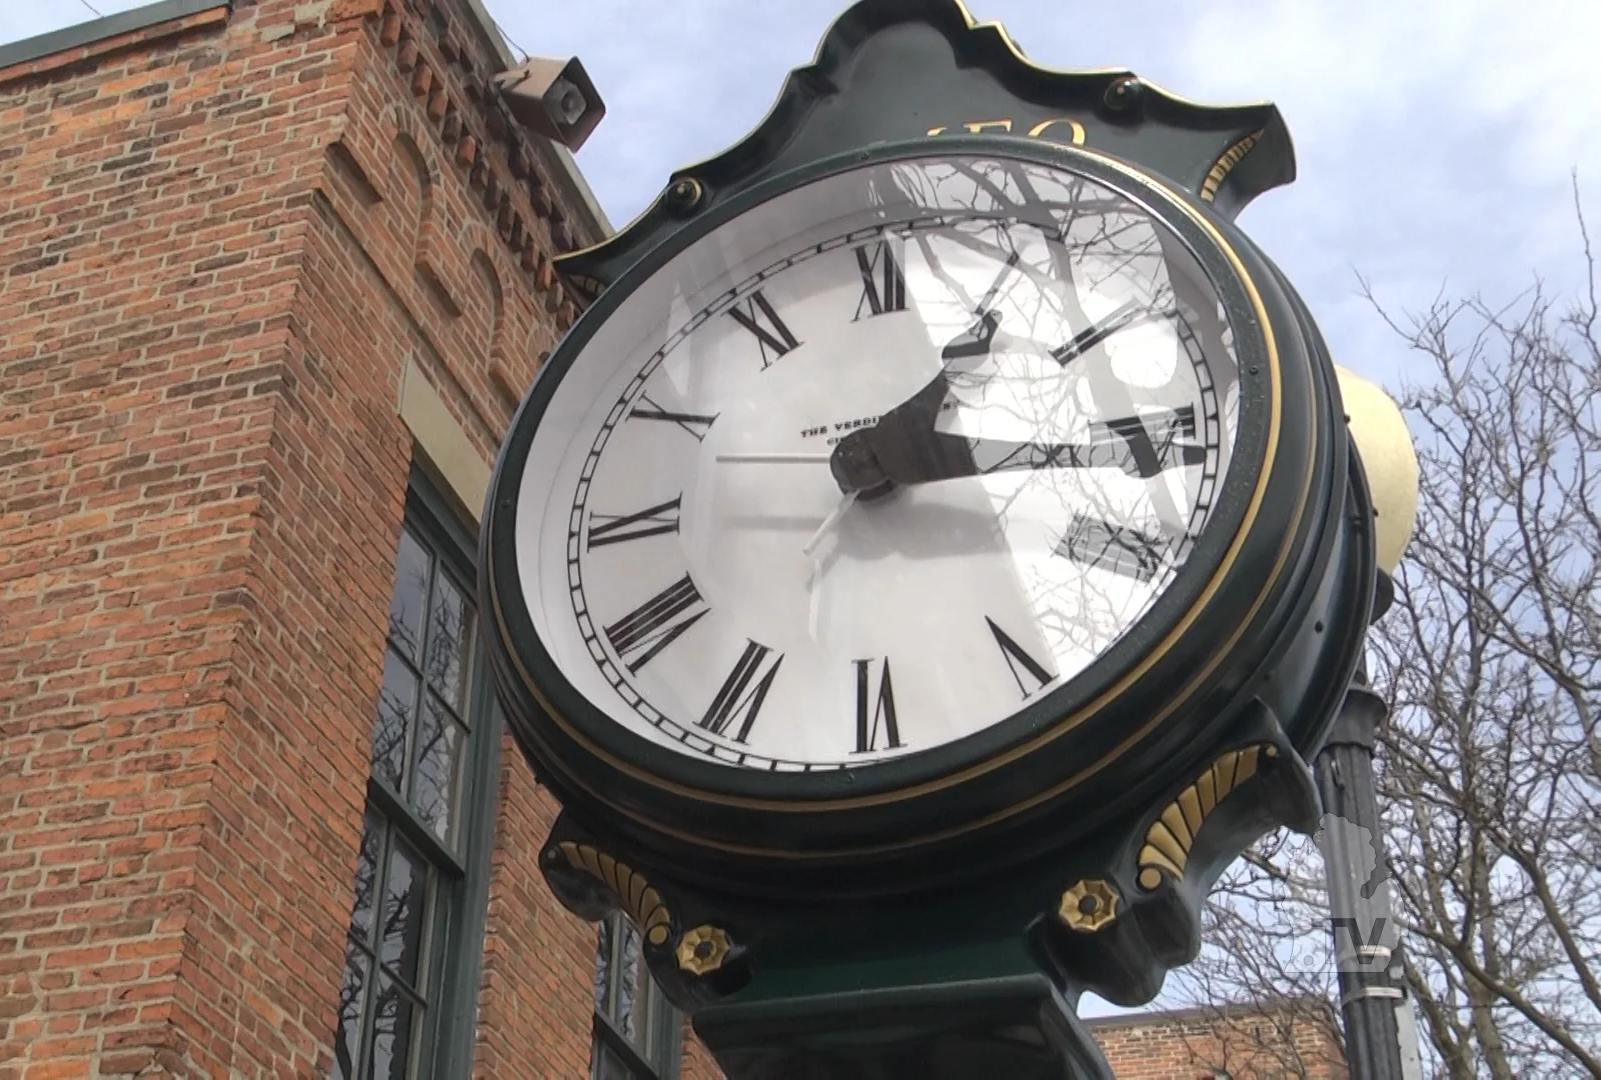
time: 1:16
